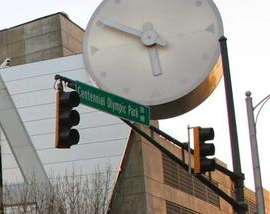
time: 5:49
